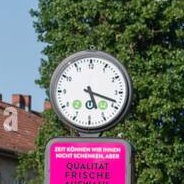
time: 5:18
